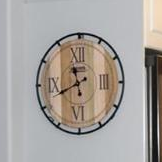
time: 11:41
